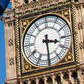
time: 3:29
